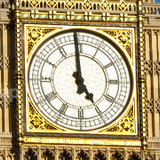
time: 4:59
